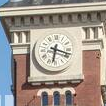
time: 6:18
